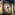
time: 5:09
